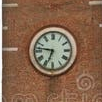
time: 6:46
